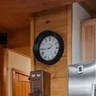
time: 1:43
